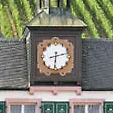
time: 6:12
